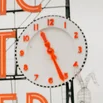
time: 11:26
